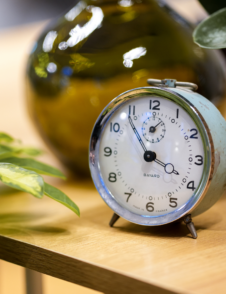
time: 3:53
